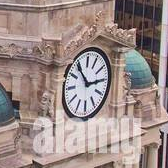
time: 2:53
